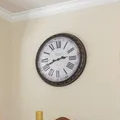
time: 2:41
